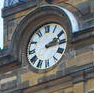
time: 2:15
